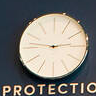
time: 2:46
